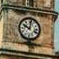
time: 10:01
